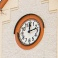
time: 12:12
